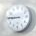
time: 8:45
